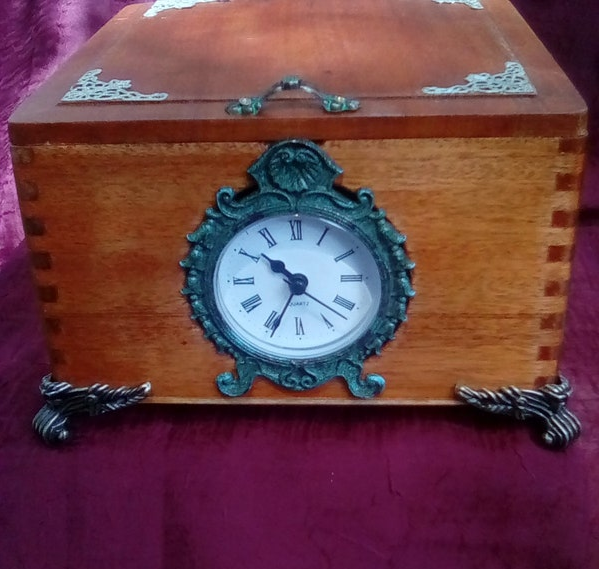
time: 10:34
